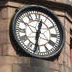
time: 12:31
